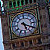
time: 5:18
